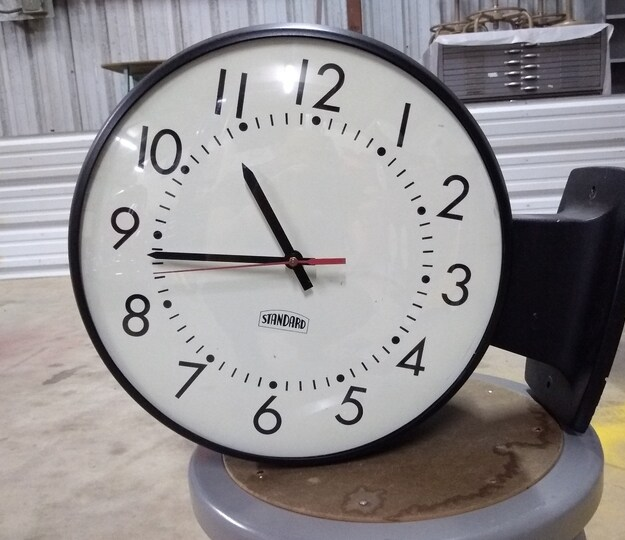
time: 10:43
